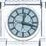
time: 12:17
